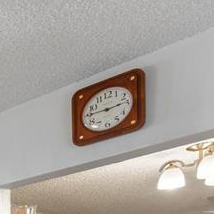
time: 2:45
